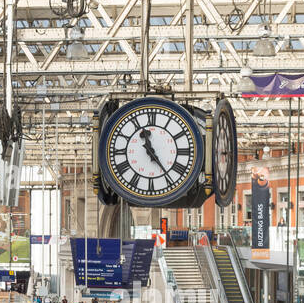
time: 11:23
